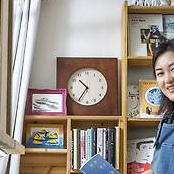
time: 10:35
